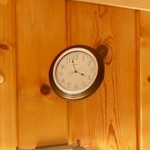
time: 3:57
